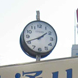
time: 1:41
